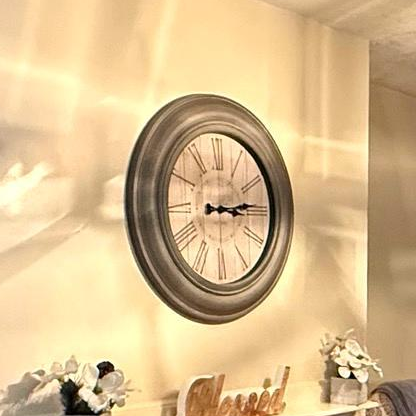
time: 3:14
